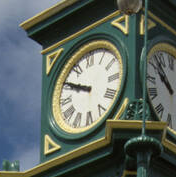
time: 9:50
